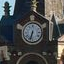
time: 6:32
